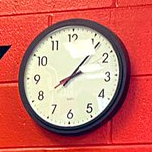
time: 8:06
